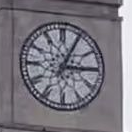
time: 3:04
